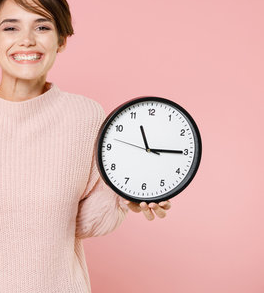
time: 11:14
